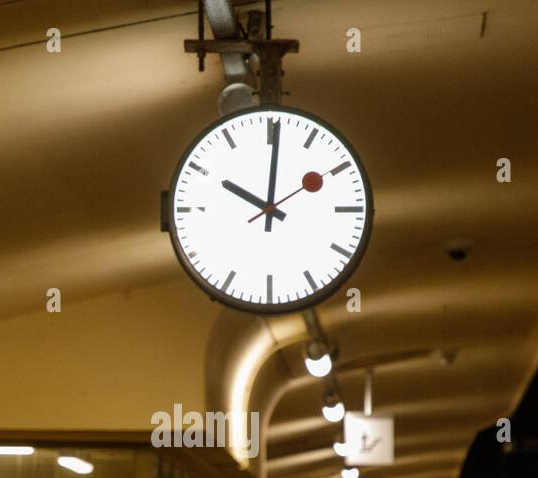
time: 10:00
